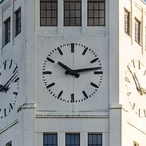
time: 10:13
